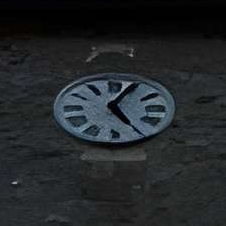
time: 5:04
